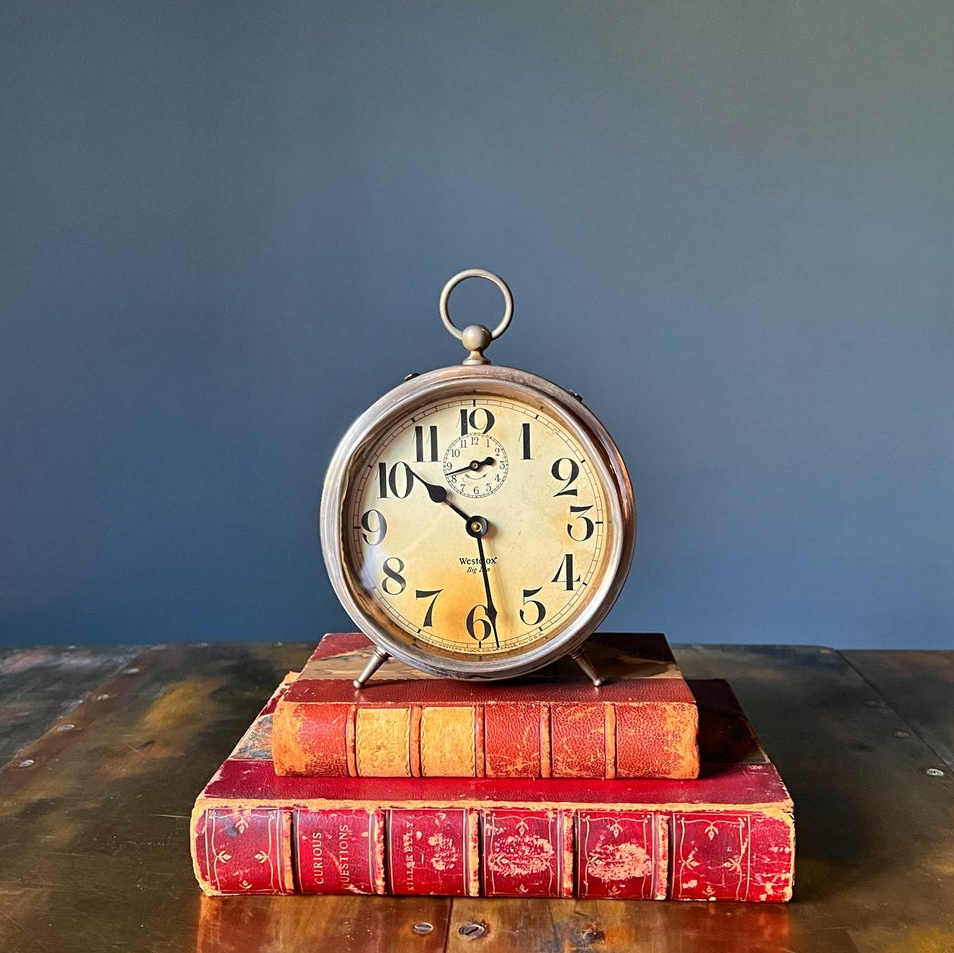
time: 10:28
